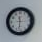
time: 11:31
